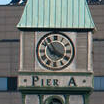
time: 3:54
